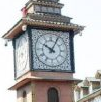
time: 10:04
